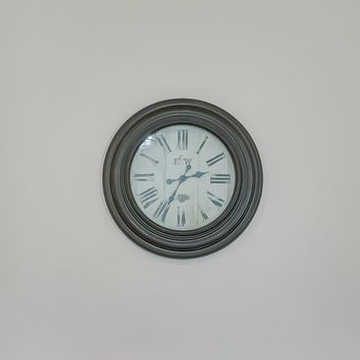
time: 2:34
